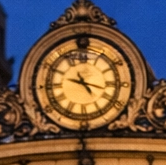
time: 4:17
